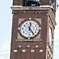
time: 12:24
